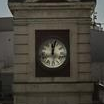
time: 12:02
